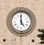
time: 4:59
